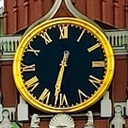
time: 6:32
